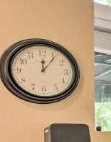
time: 12:06
